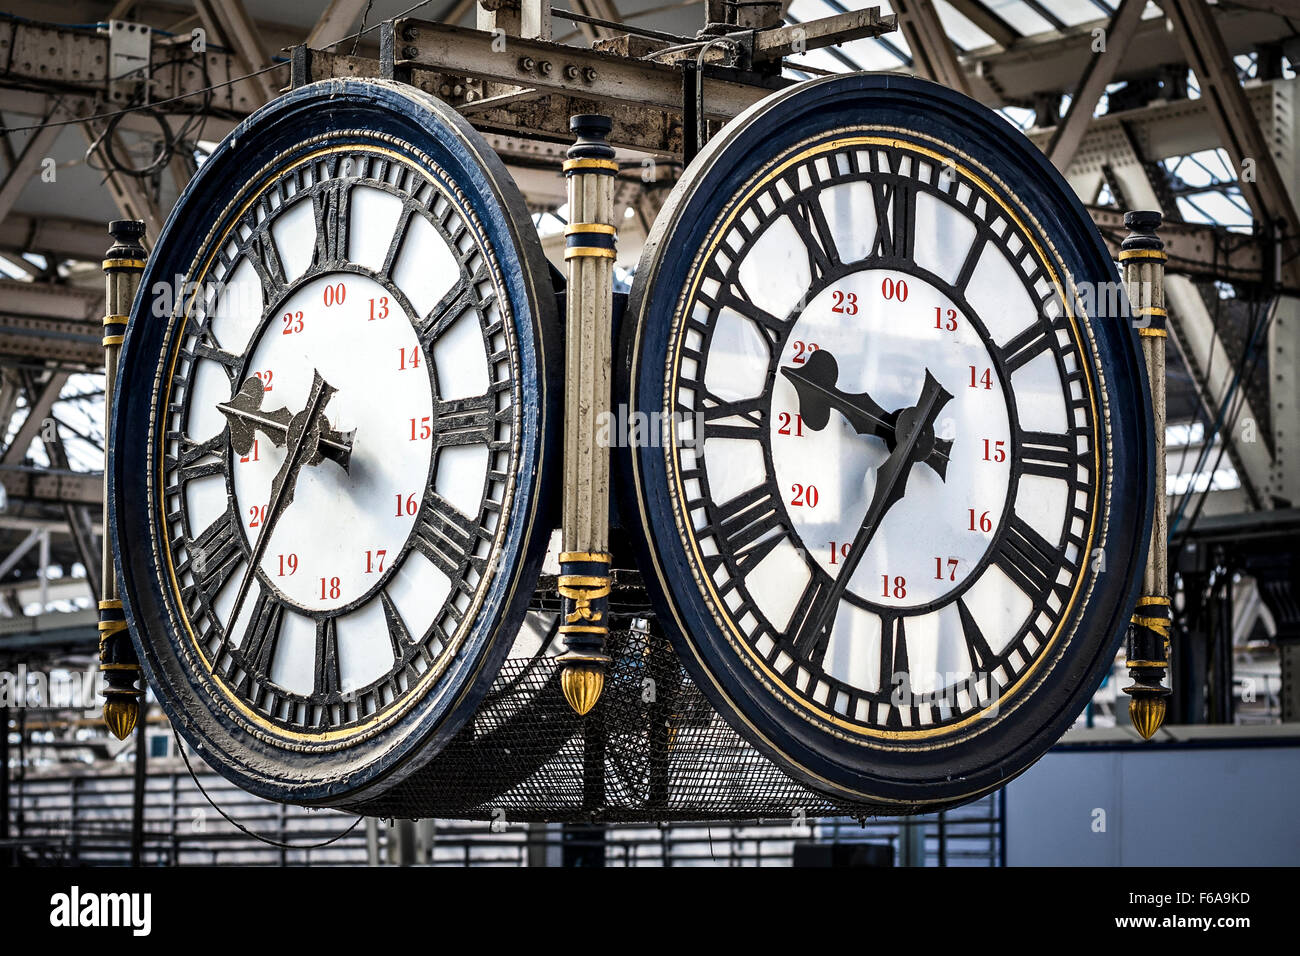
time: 9:35
